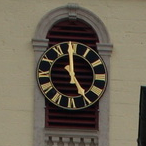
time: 4:59
